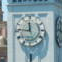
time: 11:46
